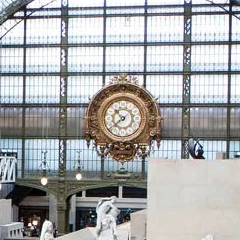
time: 10:39
